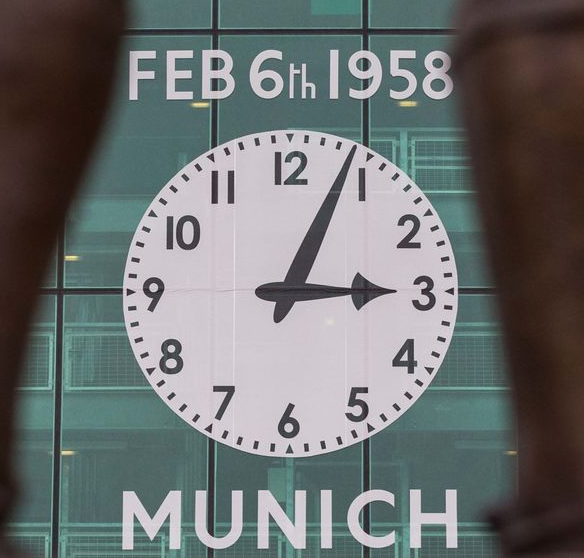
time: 3:03
